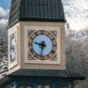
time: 9:32
